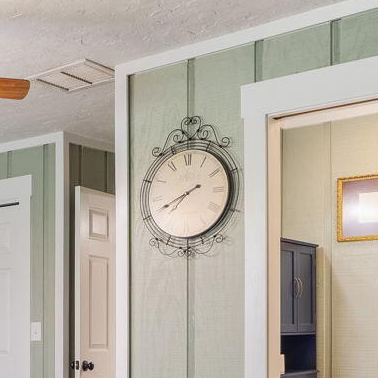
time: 7:40
